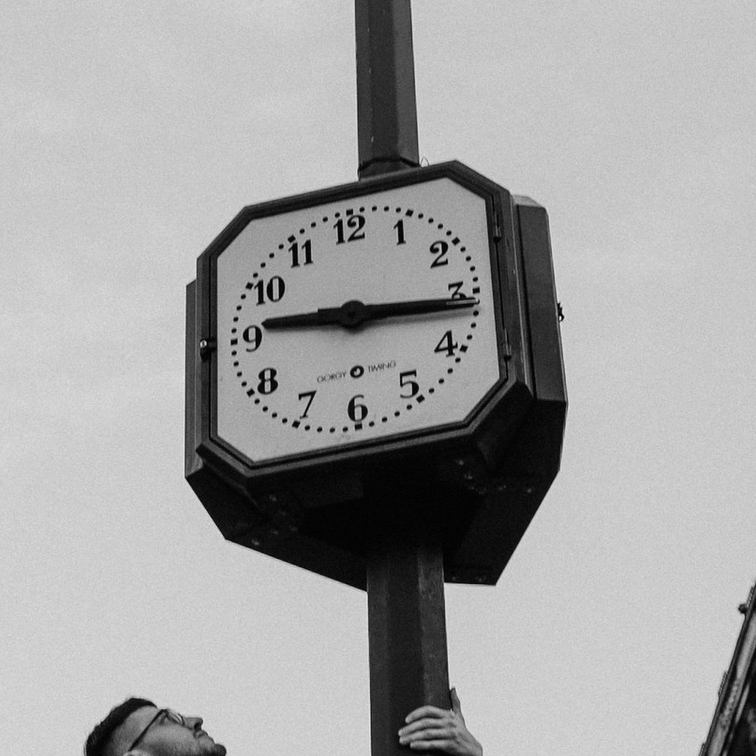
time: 9:15
